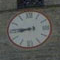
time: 8:45
